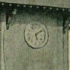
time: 5:09
